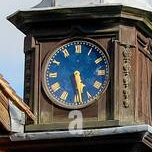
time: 5:28
